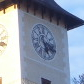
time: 5:18
